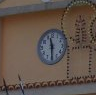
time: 11:29
